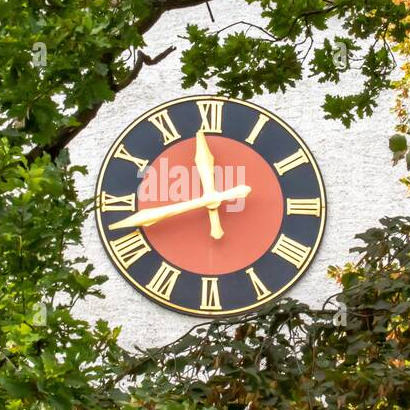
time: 11:42
